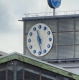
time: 11:28
